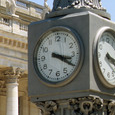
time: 3:20
